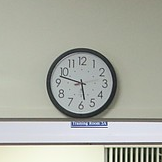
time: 5:47
